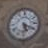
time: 5:19
